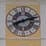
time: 8:12
